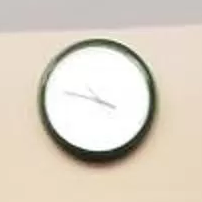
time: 3:47
